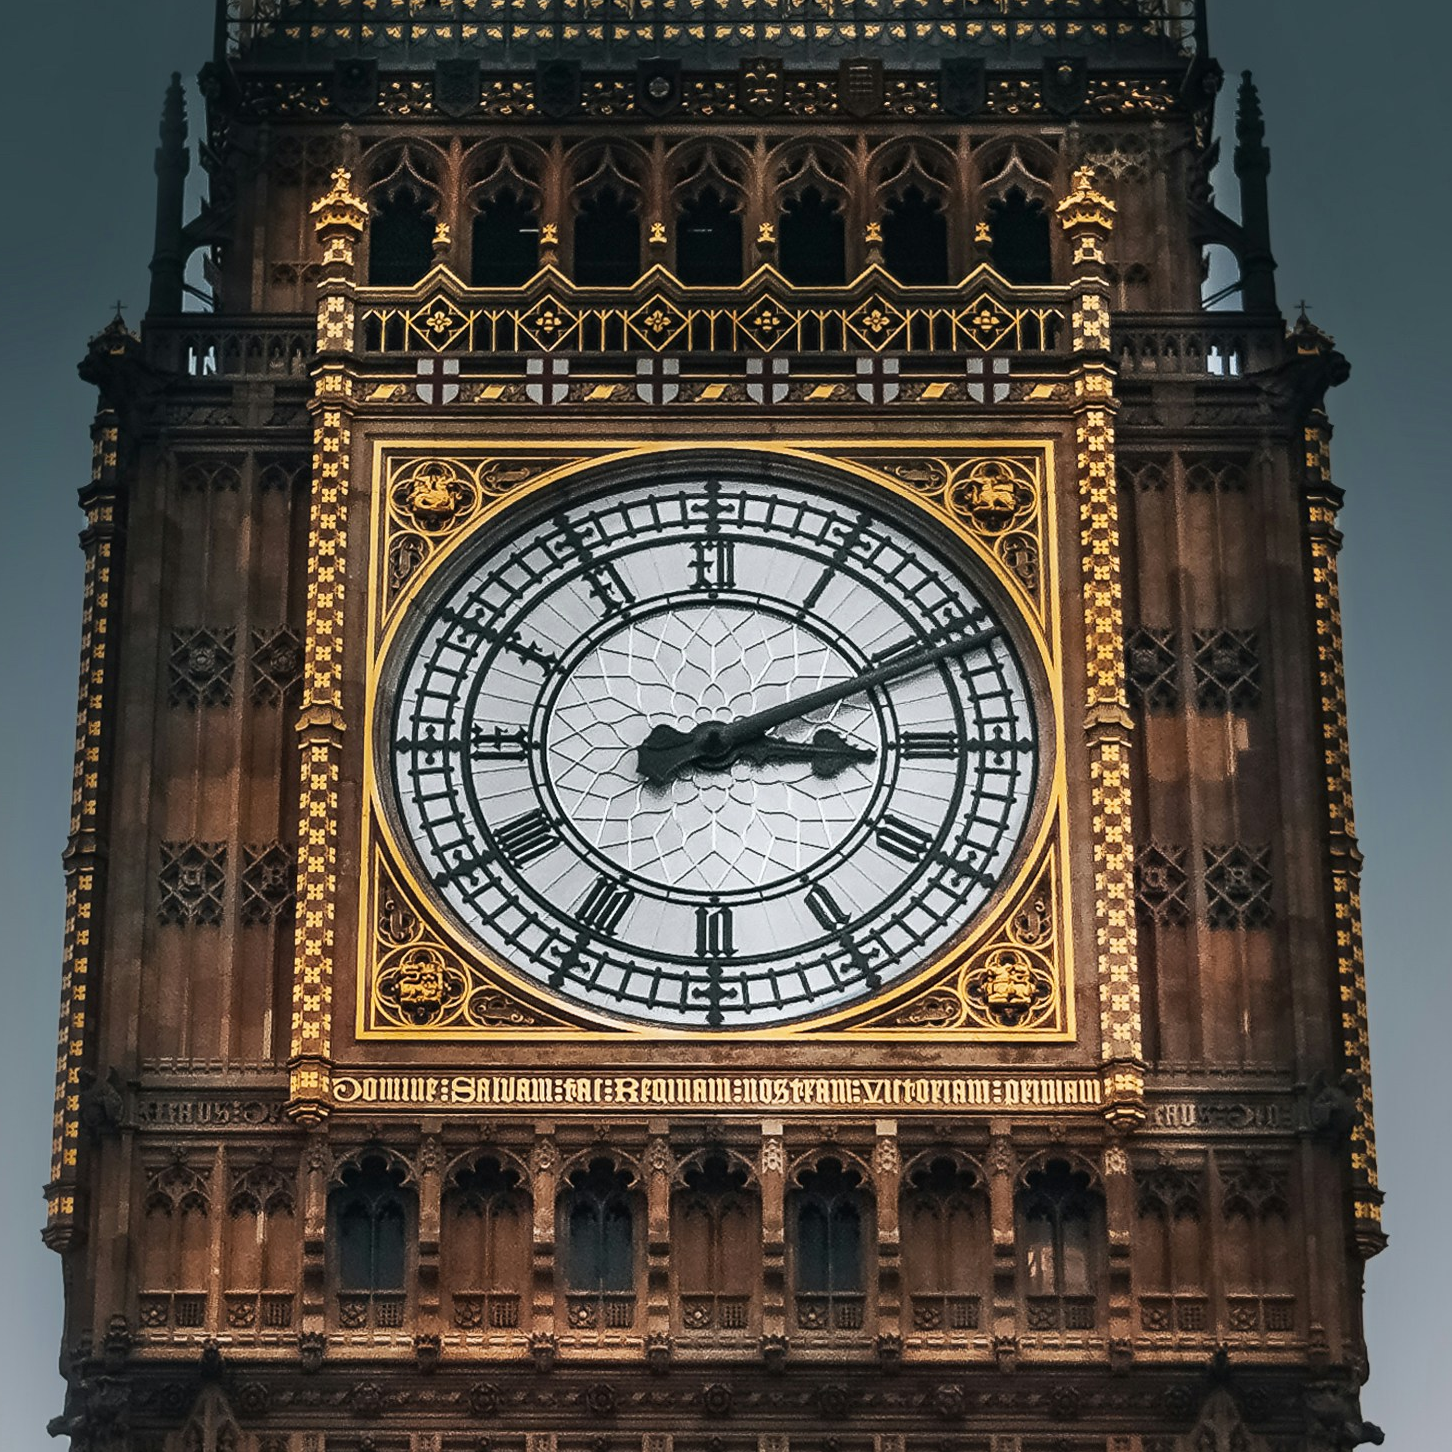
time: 3:10
